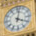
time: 4:02
